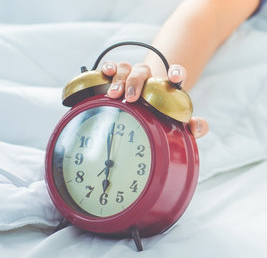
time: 5:59
